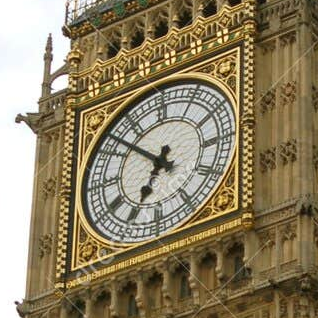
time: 6:52
